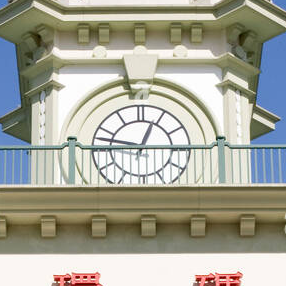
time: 12:46
